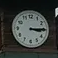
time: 3:14
